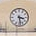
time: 3:28
